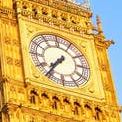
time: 7:36
